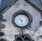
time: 10:28
